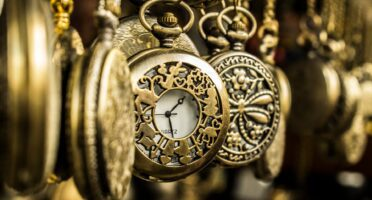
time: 1:28
